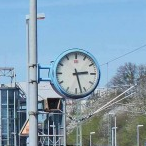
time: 2:27
